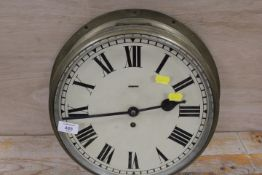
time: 2:43
